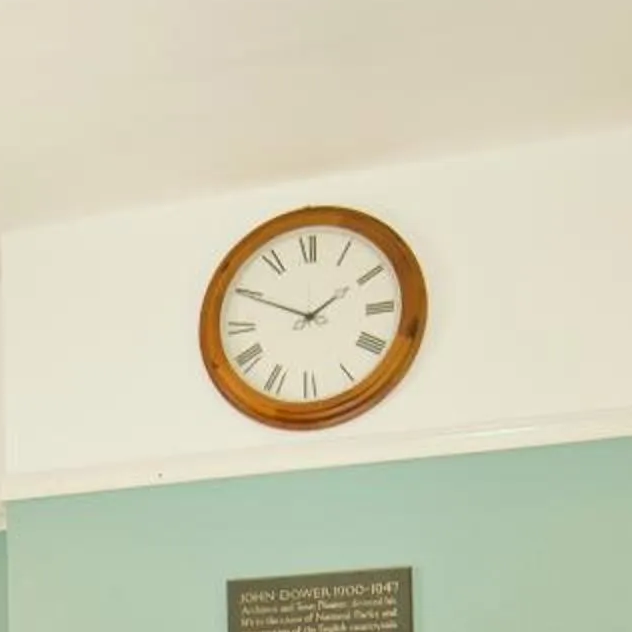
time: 1:49
